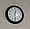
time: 12:29
